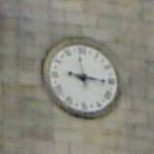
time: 9:15
